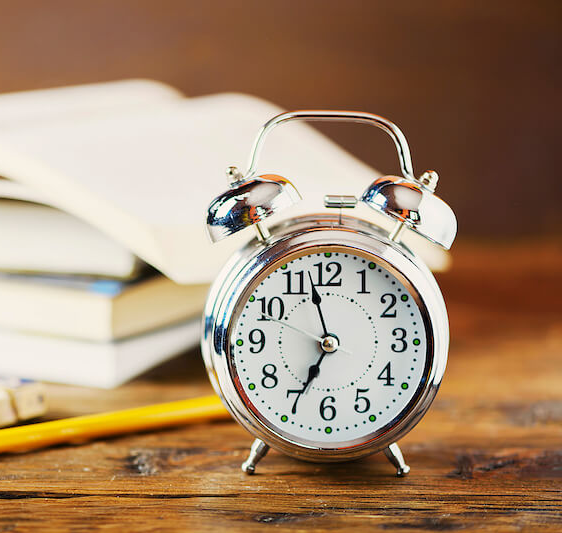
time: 6:57
